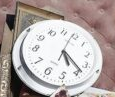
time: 5:23
